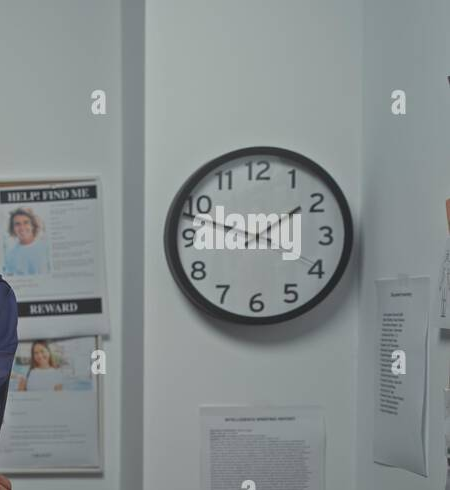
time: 1:47
